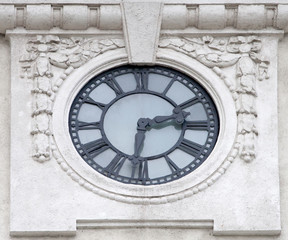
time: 2:31
